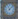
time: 11:07
